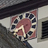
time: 5:40
